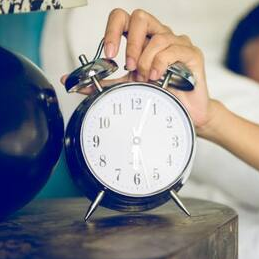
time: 6:03
